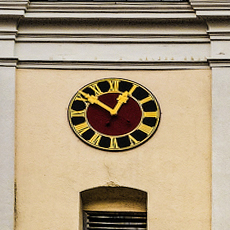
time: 12:51
